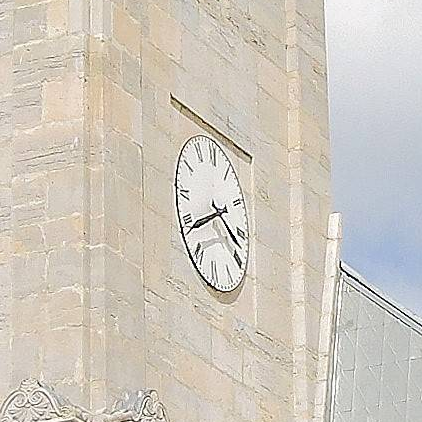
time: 3:40
